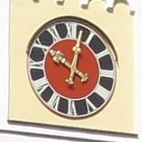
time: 10:02
